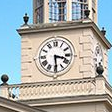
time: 3:29
